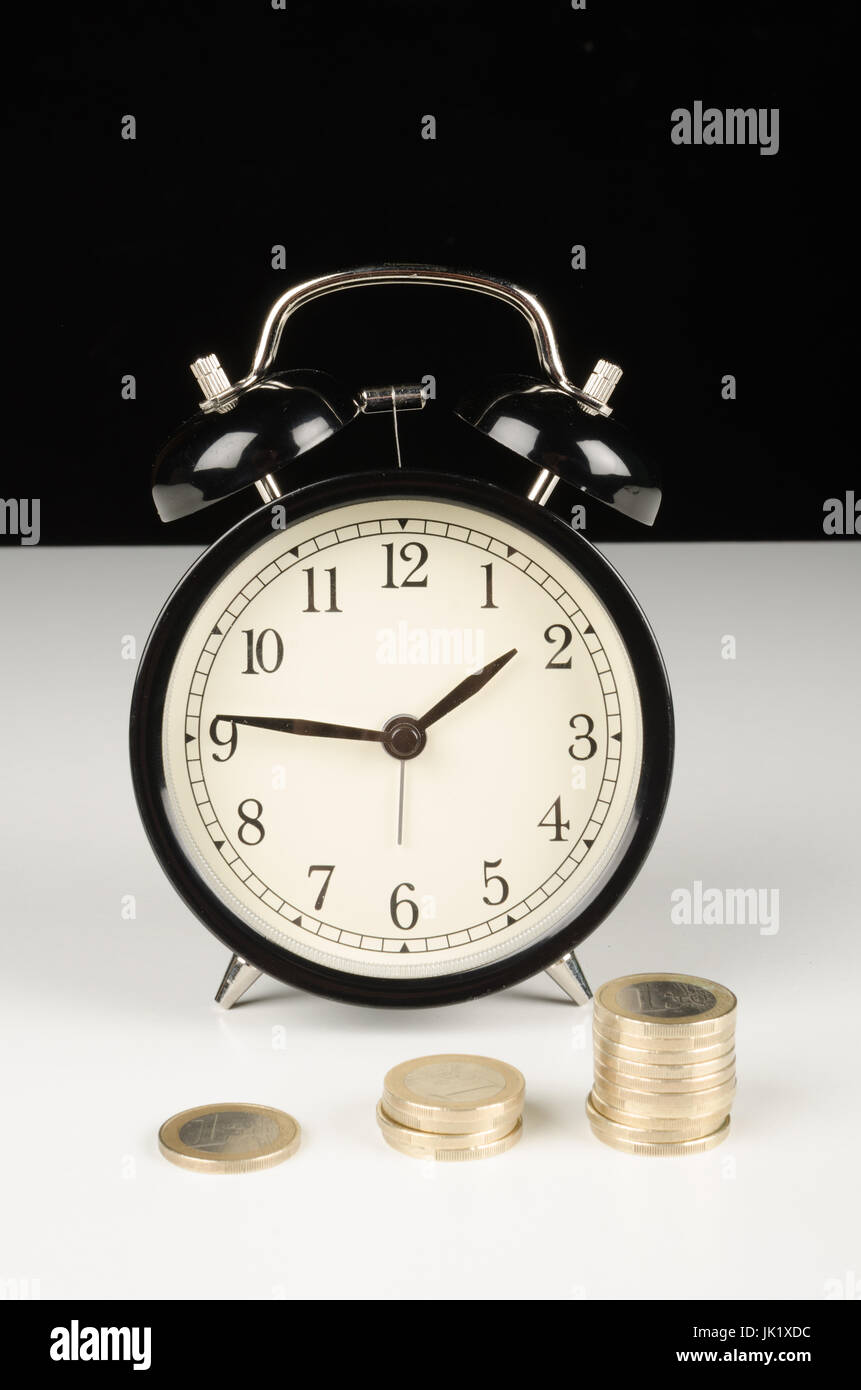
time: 1:46
